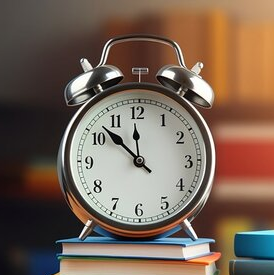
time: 11:52
